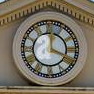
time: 12:18
